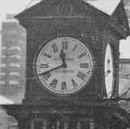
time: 11:41
